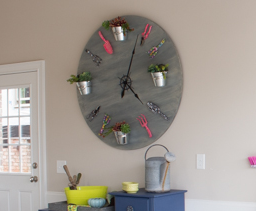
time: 4:03
